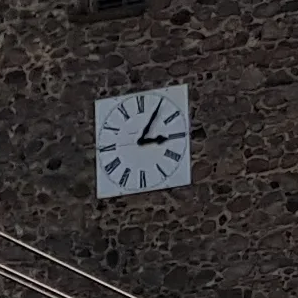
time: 3:05
